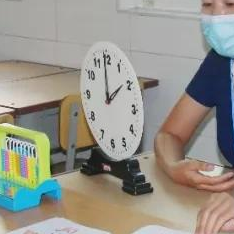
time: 1:59
